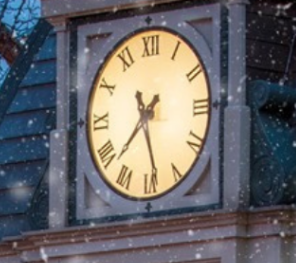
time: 7:28
